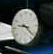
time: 9:22
